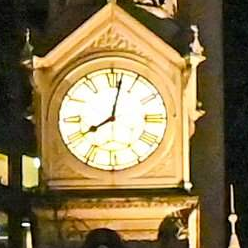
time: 8:02
